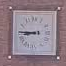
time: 8:45
